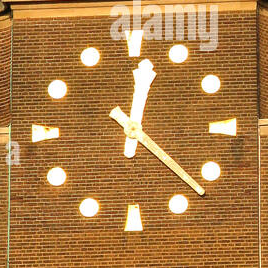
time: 12:22
